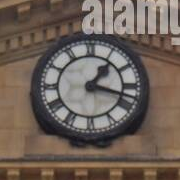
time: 1:18
